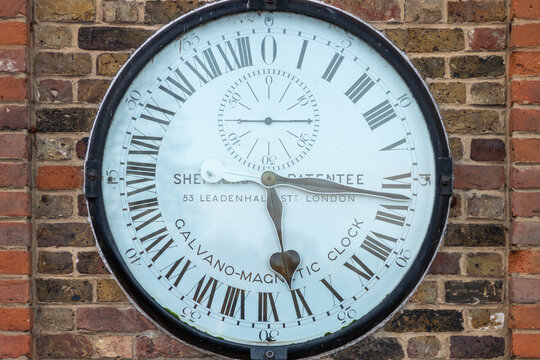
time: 5:15
